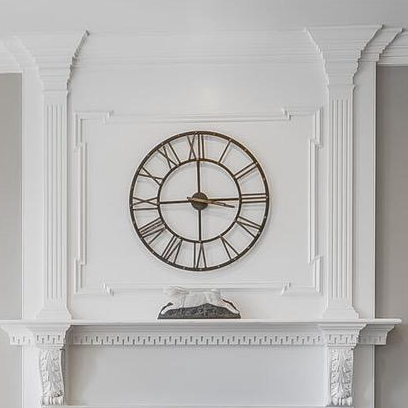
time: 3:00
